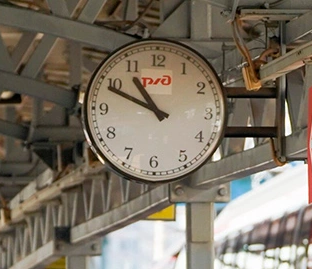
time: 10:48
